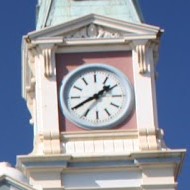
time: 1:40
